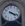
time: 4:18
